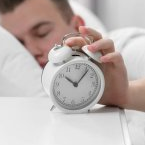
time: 10:06
